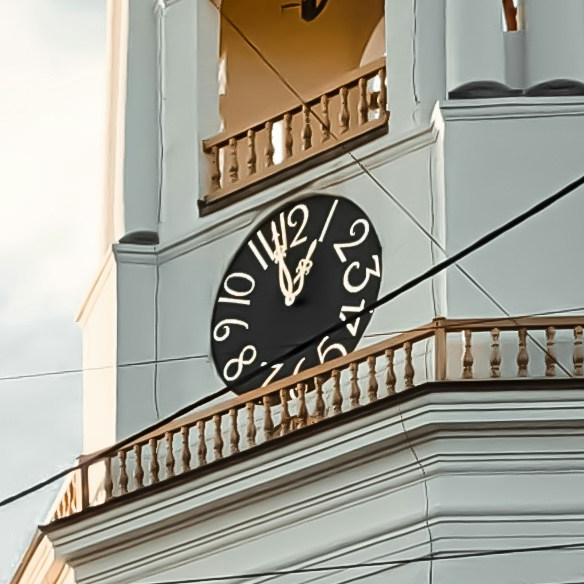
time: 12:57
